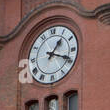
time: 1:18
